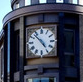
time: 4:52
